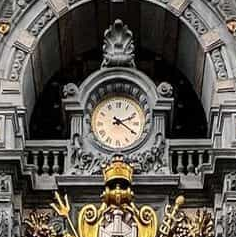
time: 2:21
